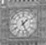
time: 1:26
